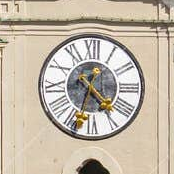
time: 4:33
